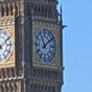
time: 11:08
